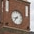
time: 8:37
